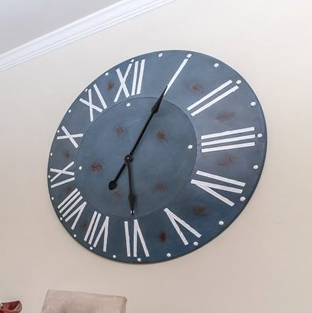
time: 6:05
